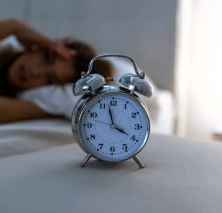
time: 3:57
